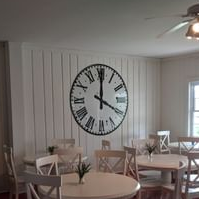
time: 4:00
